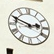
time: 2:48
